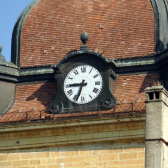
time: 8:33
